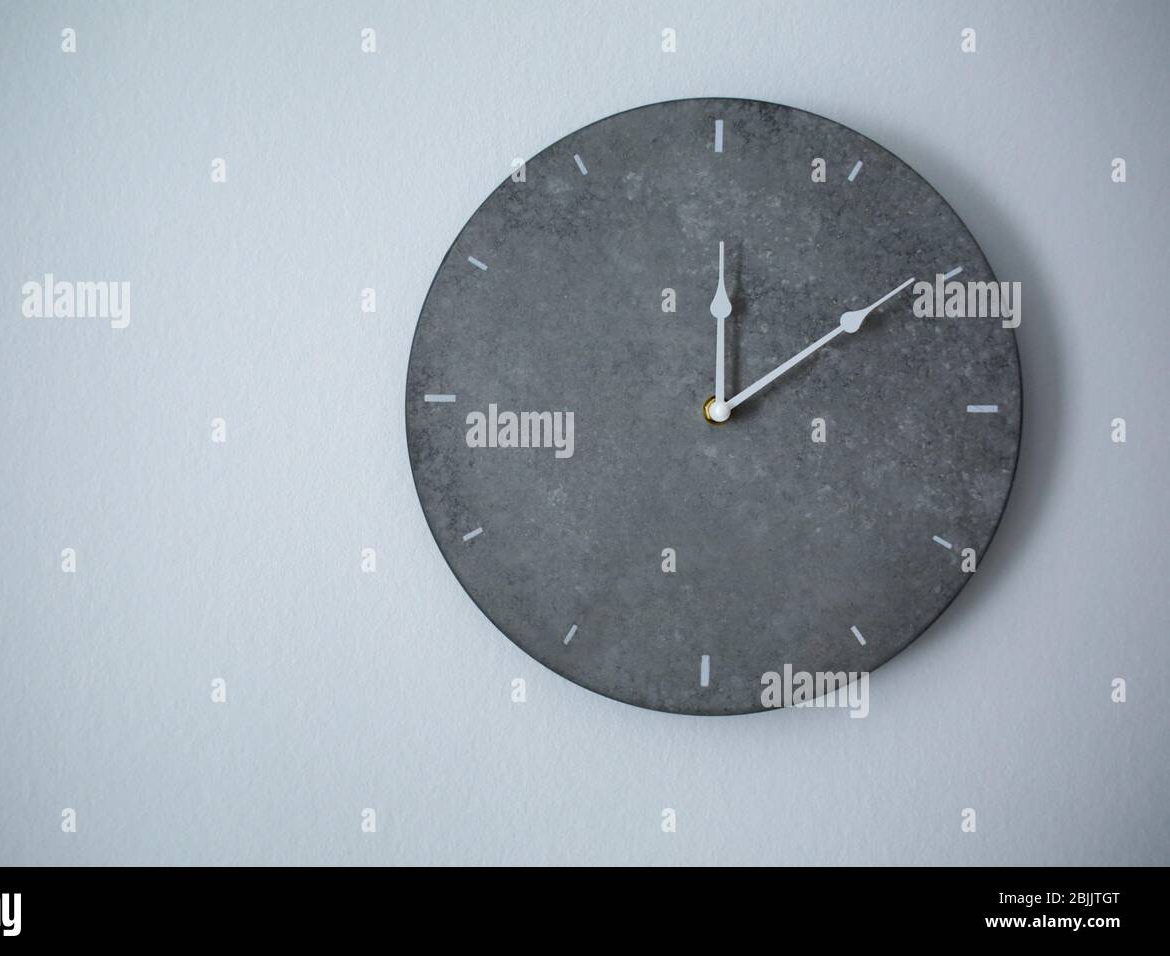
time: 12:09
